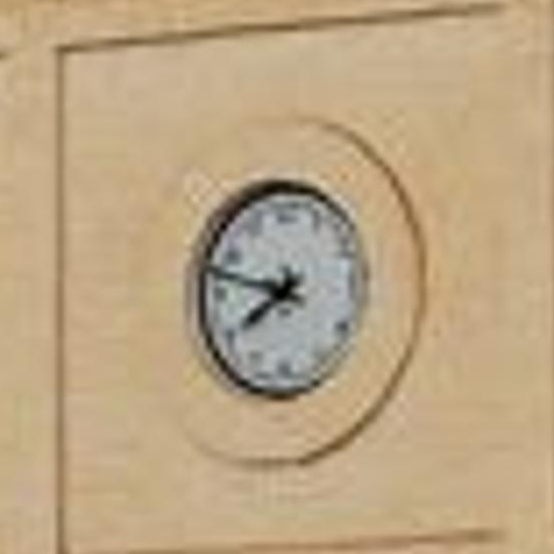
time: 7:47
